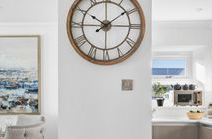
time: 10:08
